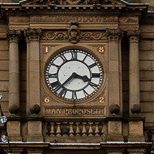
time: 3:37
